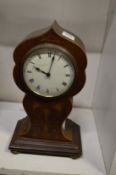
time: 10:02
